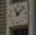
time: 11:07
